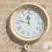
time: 11:47
